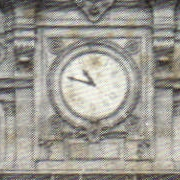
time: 10:47
